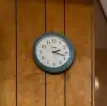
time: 2:18
